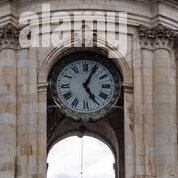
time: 5:04
